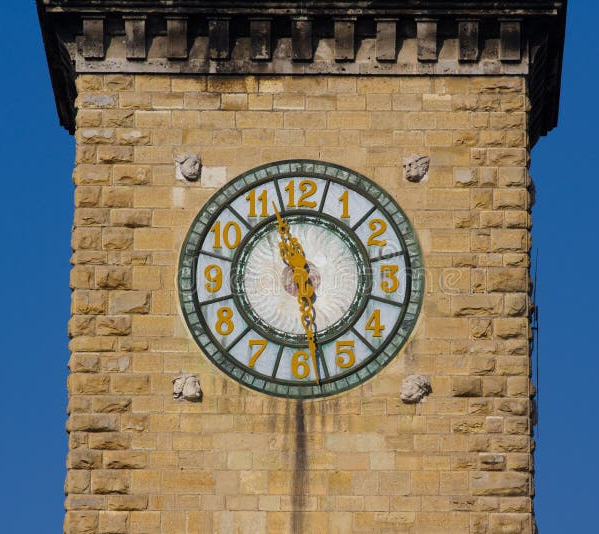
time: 11:28
